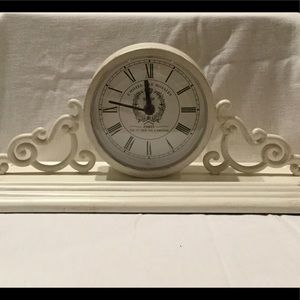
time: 11:46
